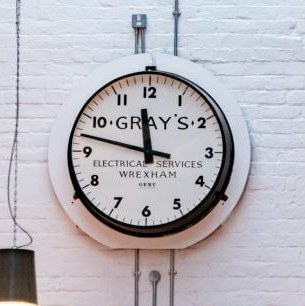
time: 11:47
